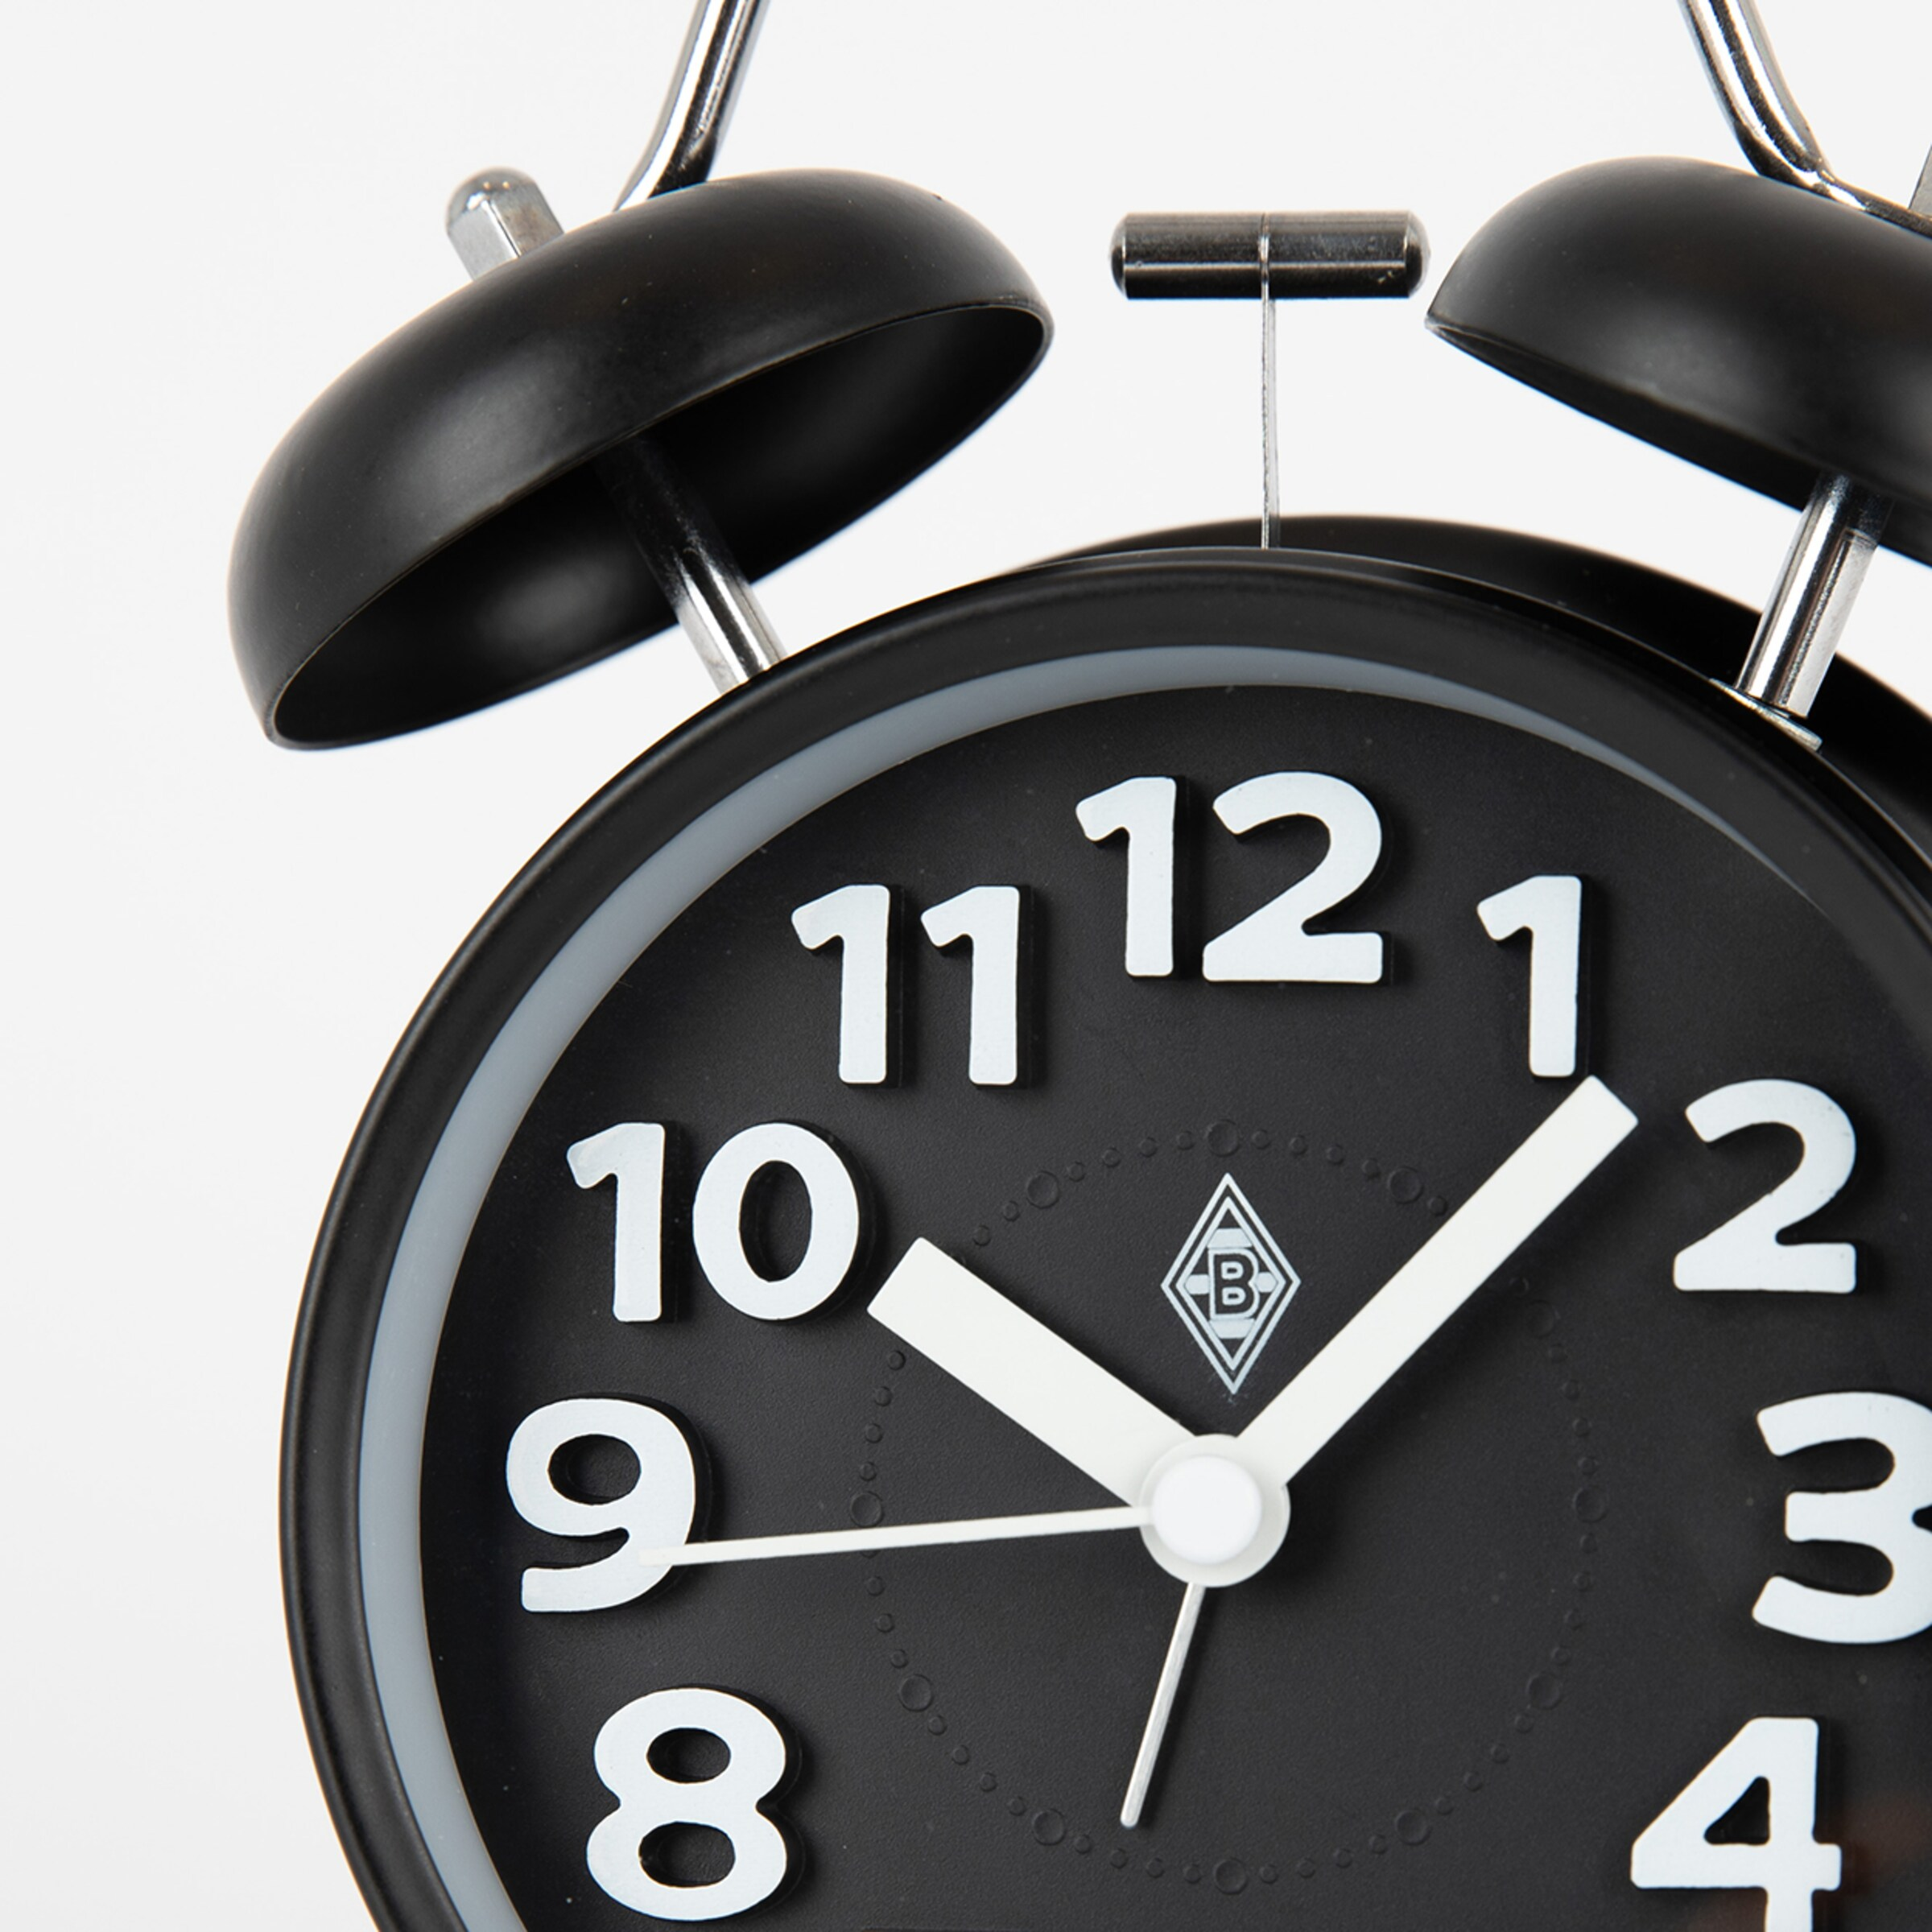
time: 10:07
